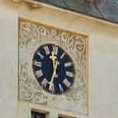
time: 11:32
